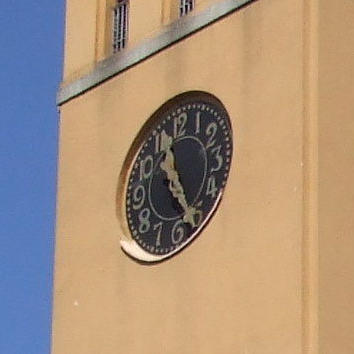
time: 11:25
